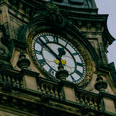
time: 12:52
